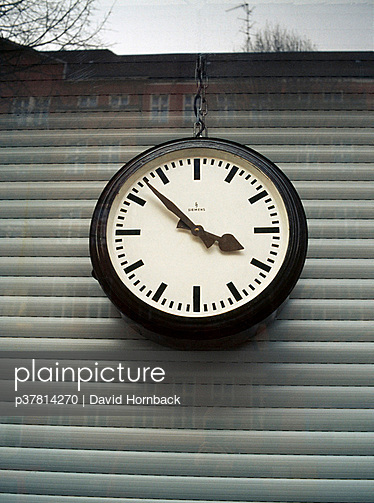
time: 3:52
